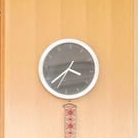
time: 3:37
